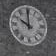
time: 10:00
